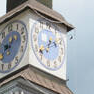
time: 6:38
